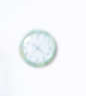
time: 7:22
